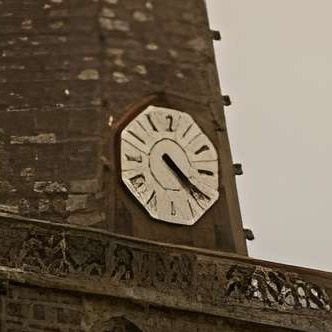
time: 4:20
